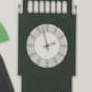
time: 1:57
